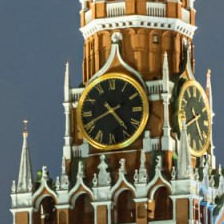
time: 4:40
